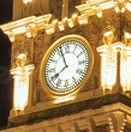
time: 7:56
